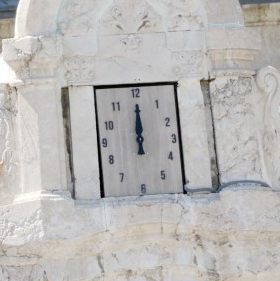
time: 12:00
